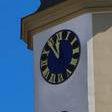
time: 11:53
